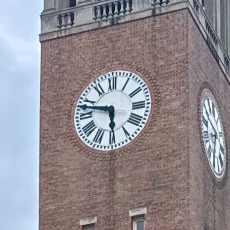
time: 5:47
